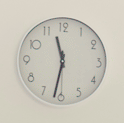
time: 11:31
